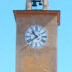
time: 10:39
